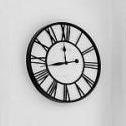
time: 11:42
